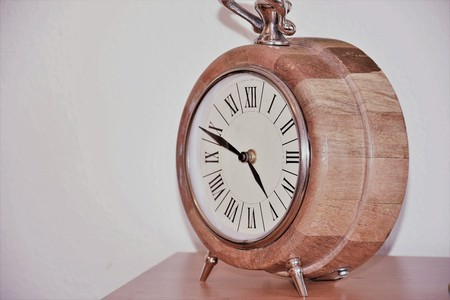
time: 4:49
